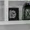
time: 7:12
